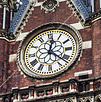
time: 12:21
